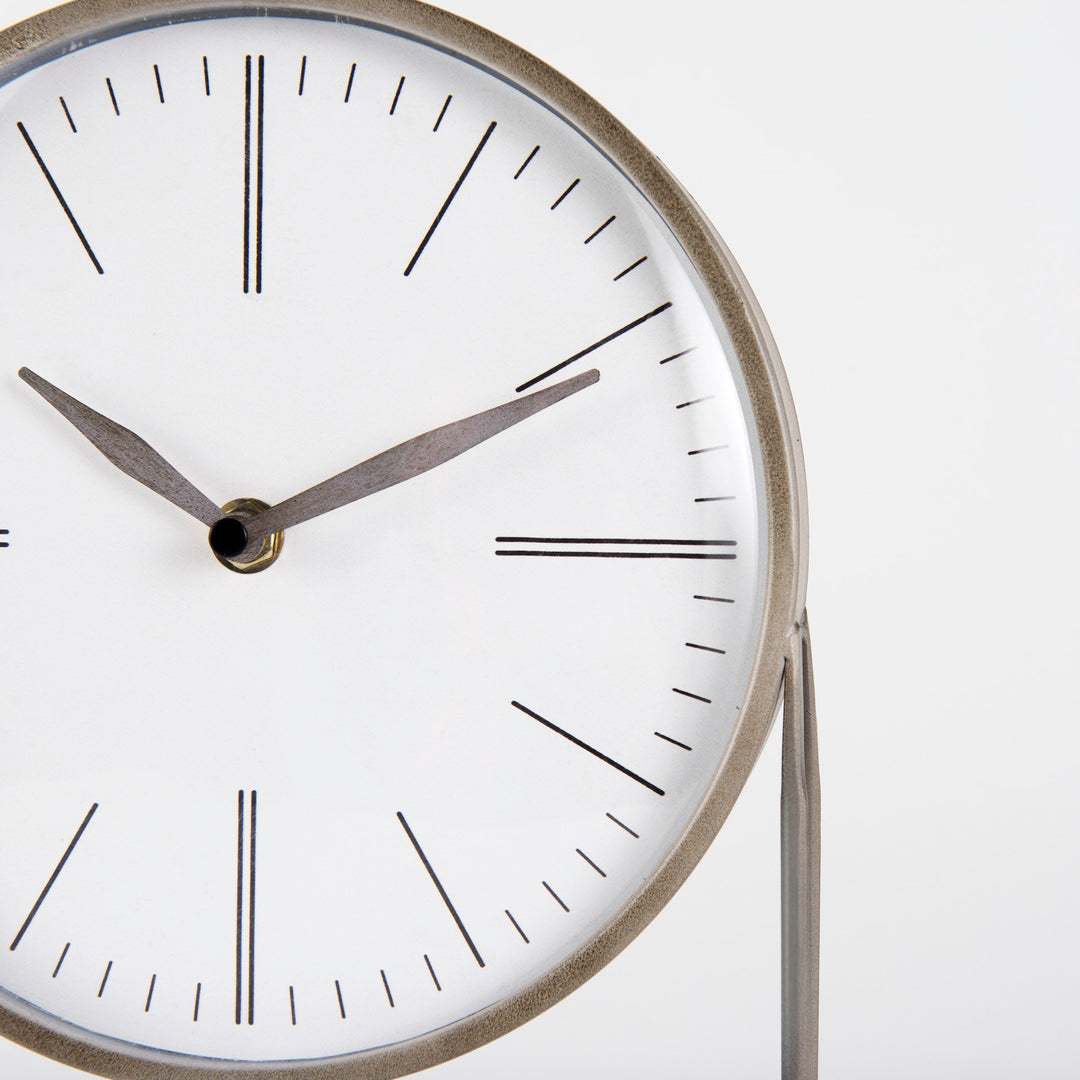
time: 10:11
